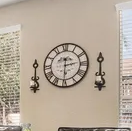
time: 2:30
